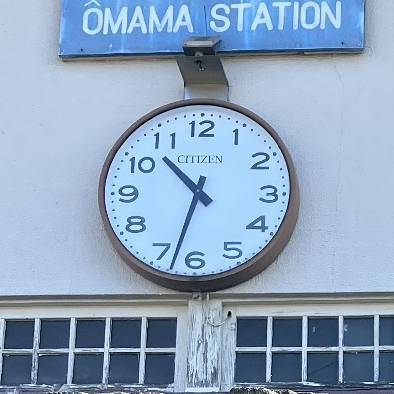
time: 10:32
